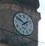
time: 1:50
